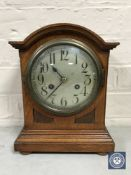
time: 10:37
